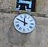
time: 11:48
